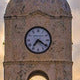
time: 7:21
